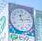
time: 11:13
